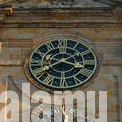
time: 3:40
